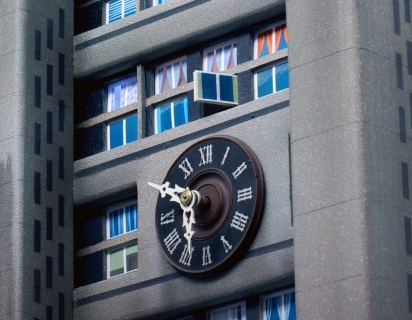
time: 5:50
